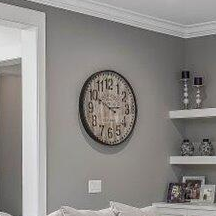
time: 2:49
